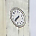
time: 7:36
